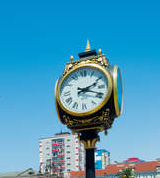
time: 2:18
